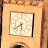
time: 5:38
